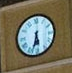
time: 5:33
